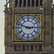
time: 2:48
